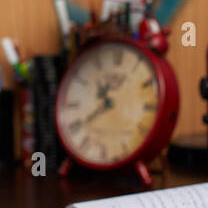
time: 10:39
